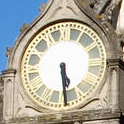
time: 5:29
